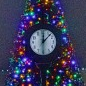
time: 12:07
